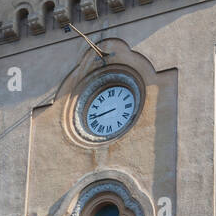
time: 8:43
